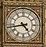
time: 4:43
